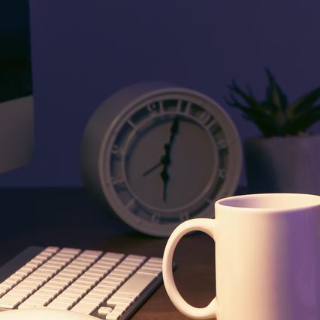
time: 6:03
